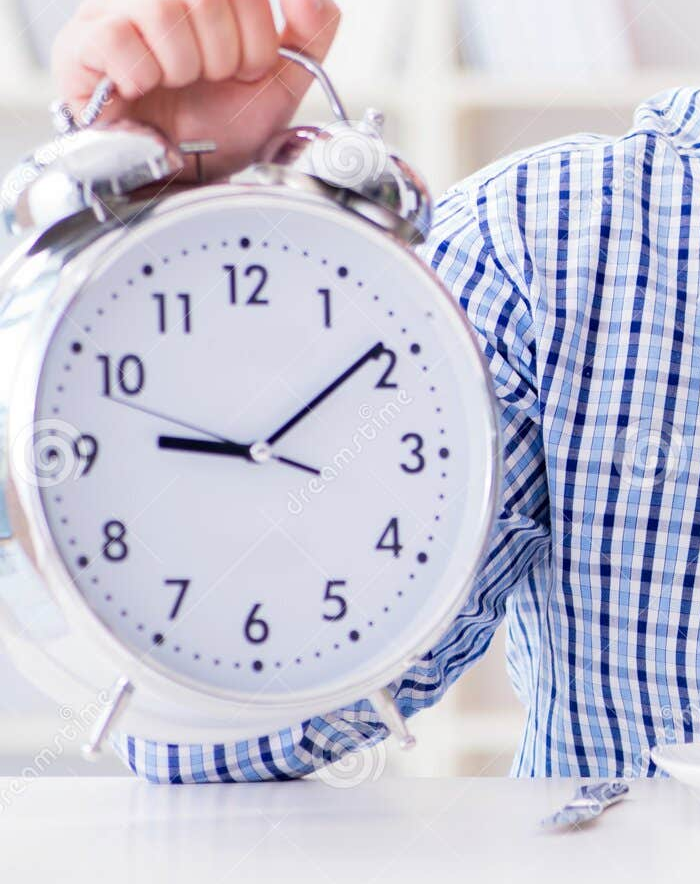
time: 9:09
